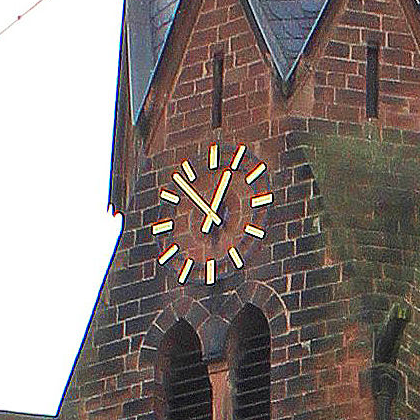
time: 12:52
